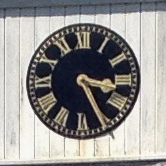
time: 3:25
